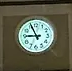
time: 8:56
